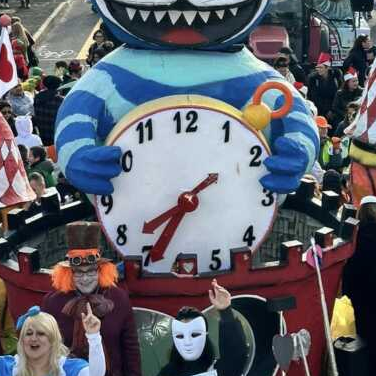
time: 7:34
